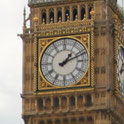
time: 1:11
